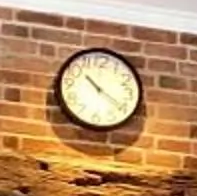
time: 10:20
